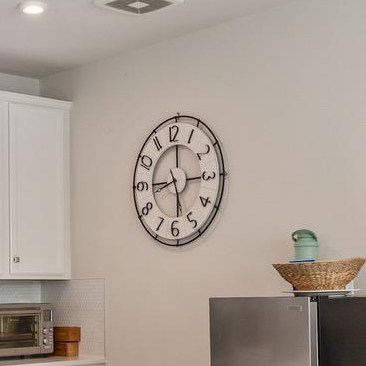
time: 5:44
